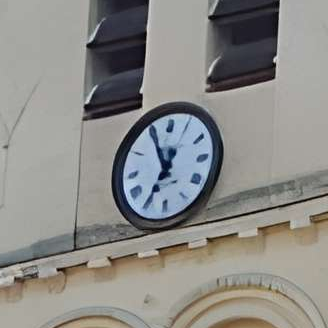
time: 6:55
